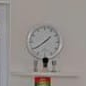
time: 1:39
